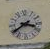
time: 3:39
